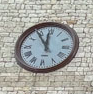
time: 11:54
